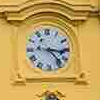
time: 3:23
